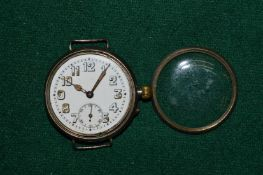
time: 10:05
